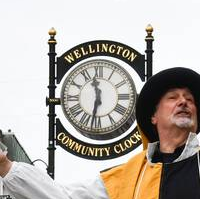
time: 11:32
